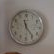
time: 11:23
